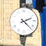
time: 2:22
